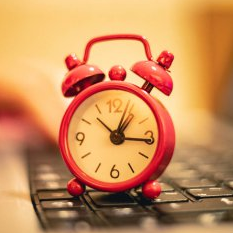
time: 1:16
